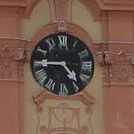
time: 4:44
